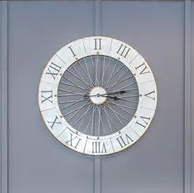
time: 3:13
